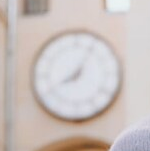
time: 8:04
